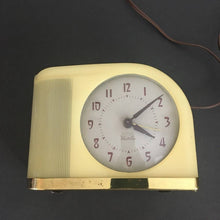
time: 4:08
